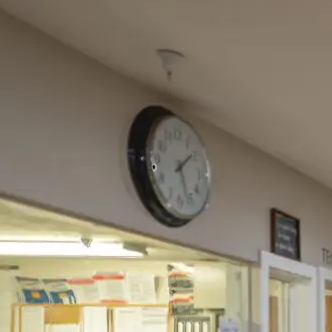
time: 5:08
